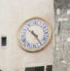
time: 4:23
